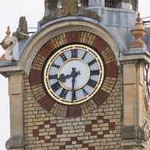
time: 8:30
